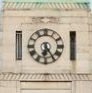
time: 6:24
